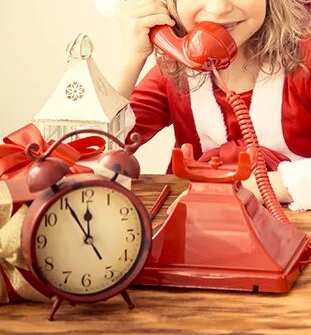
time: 11:55
